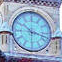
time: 10:17
